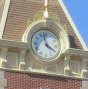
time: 3:58
